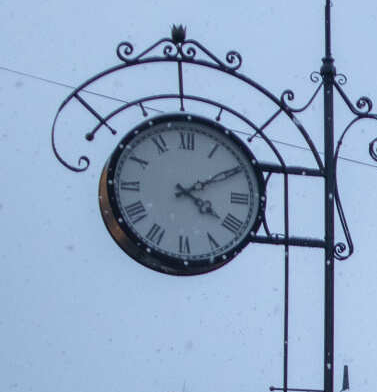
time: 4:09
